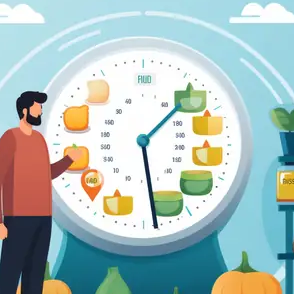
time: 1:28
